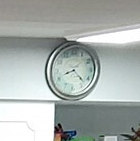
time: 8:22
